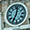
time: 12:34
